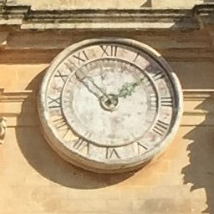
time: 1:52
